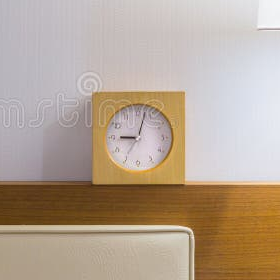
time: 9:02
